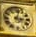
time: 3:02
